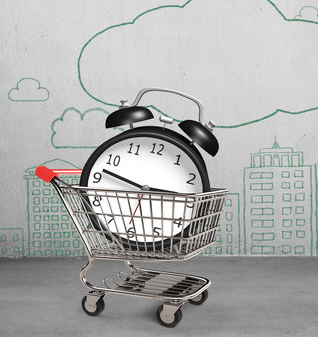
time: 2:47
